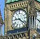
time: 9:22
